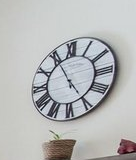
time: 4:55
